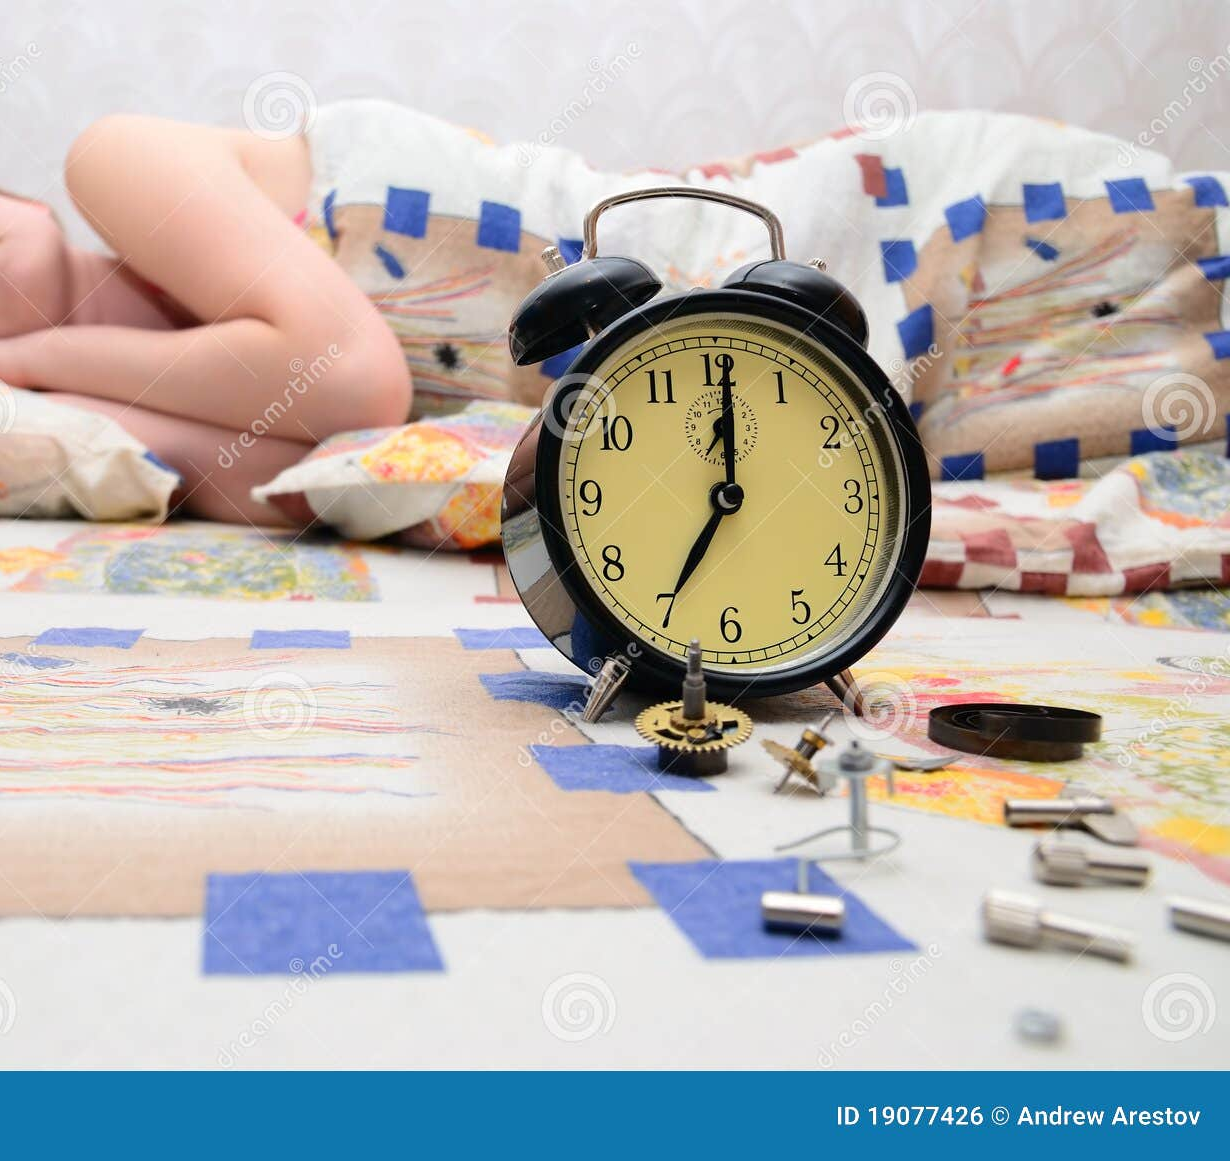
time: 7:00
